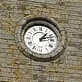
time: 1:12
